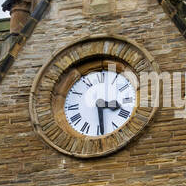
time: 3:29
